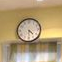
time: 4:30
